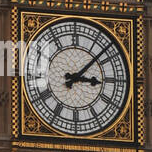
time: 3:07
